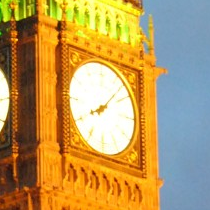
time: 8:07
